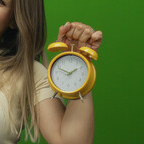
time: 1:49
